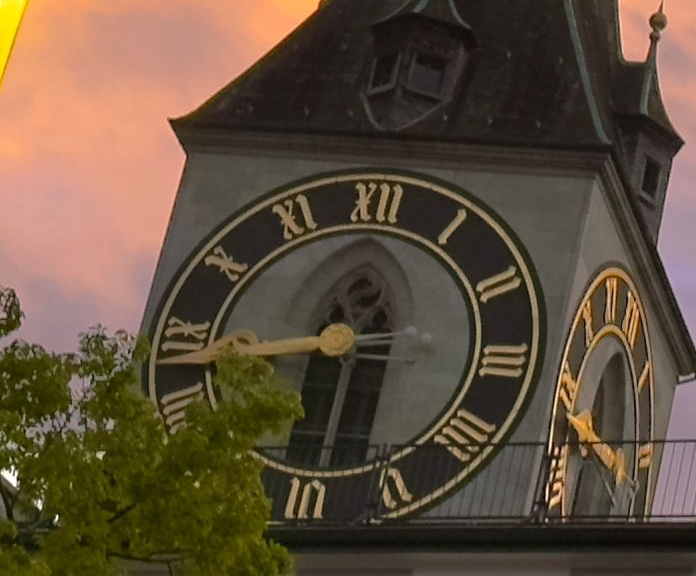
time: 8:30
